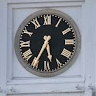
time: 5:34
